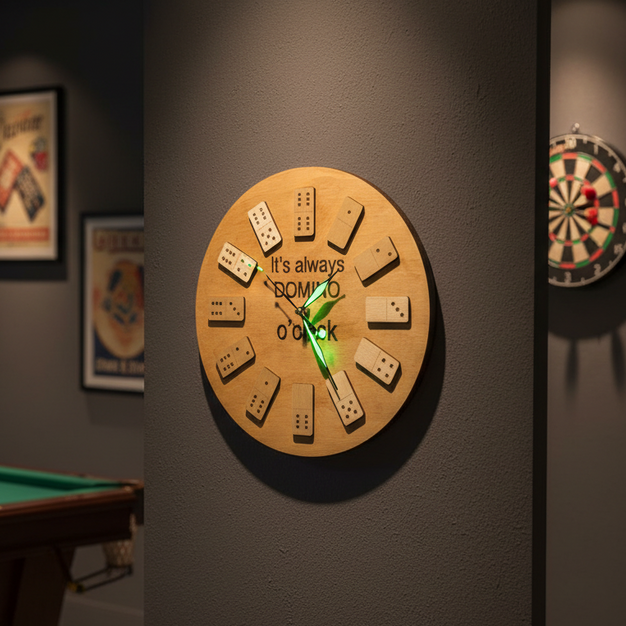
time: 5:05
